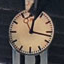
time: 12:16
